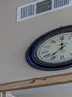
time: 7:00
